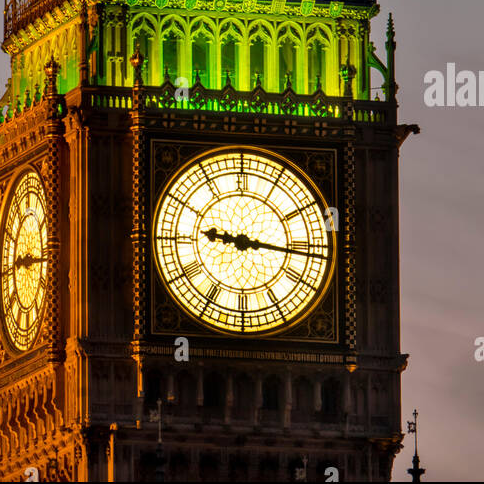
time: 9:16
